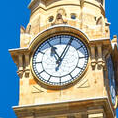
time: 11:04
